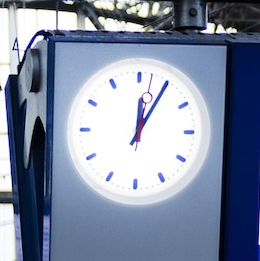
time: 12:05
